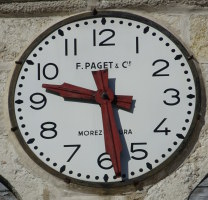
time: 9:28
